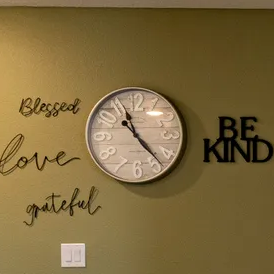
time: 11:23
